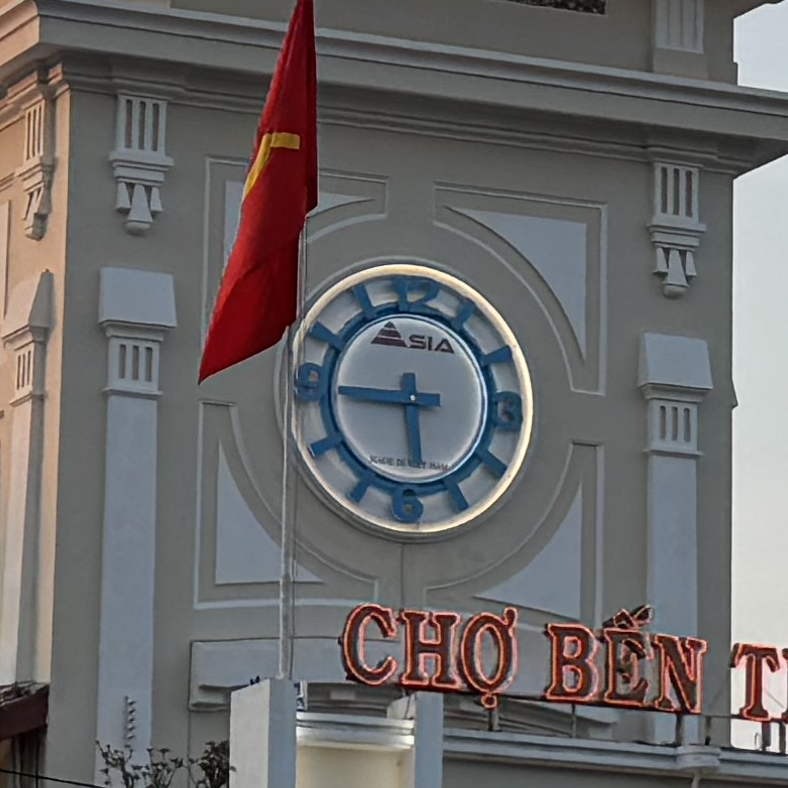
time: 5:45
